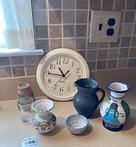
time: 10:45
